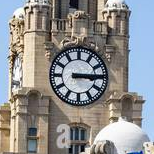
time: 3:14
